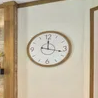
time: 12:17
